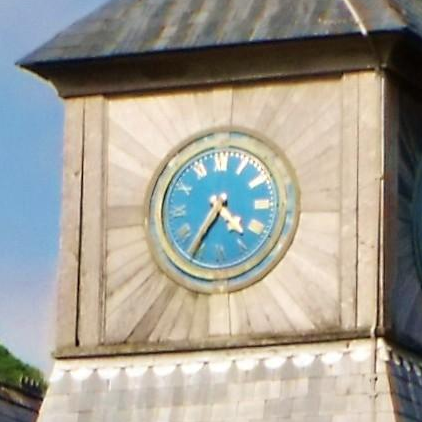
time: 4:35
